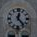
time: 12:23
